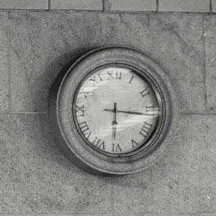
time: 6:16
